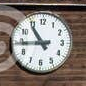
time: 10:44
